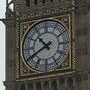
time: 10:40
